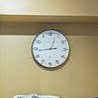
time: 12:43
